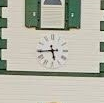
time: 5:44
